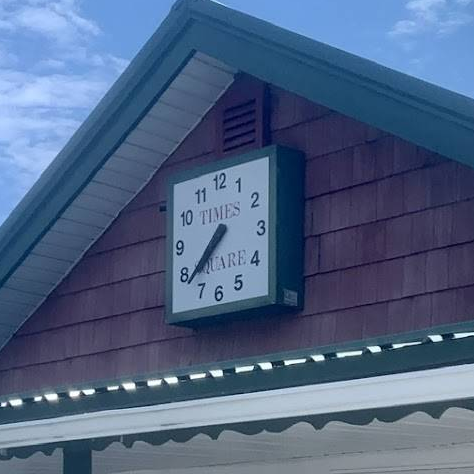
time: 7:38
